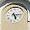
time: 5:14
